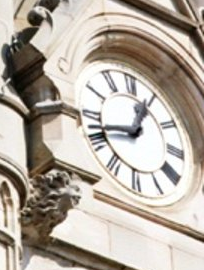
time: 12:42
